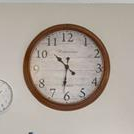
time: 10:31
